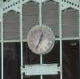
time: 12:34
